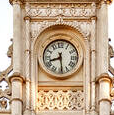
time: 8:29
